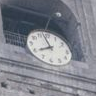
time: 7:57
